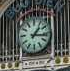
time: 1:16
